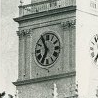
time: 6:54
